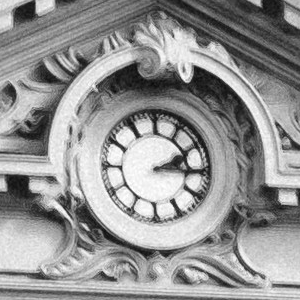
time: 2:15
